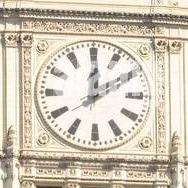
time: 12:09
